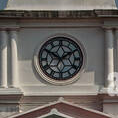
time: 1:50
